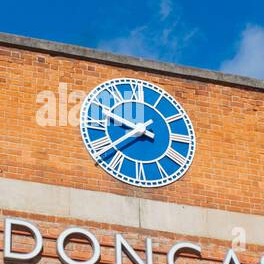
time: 9:38
